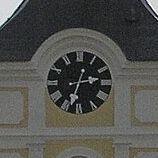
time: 2:33
